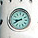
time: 8:40
